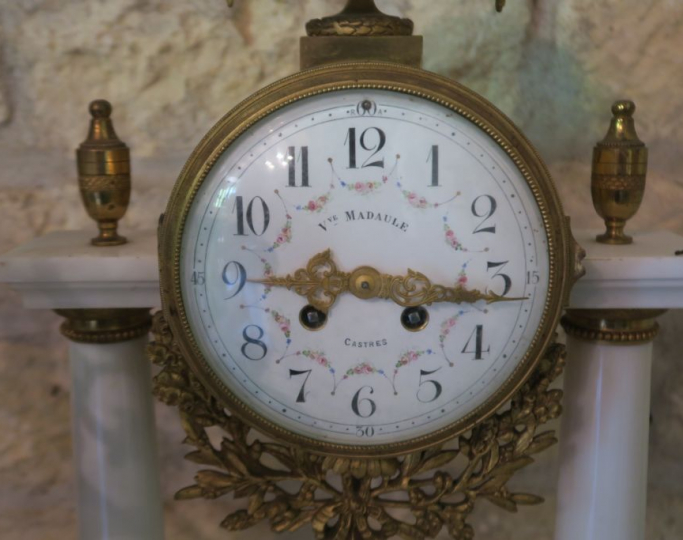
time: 9:16
